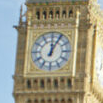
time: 12:04
